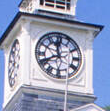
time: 11:40
